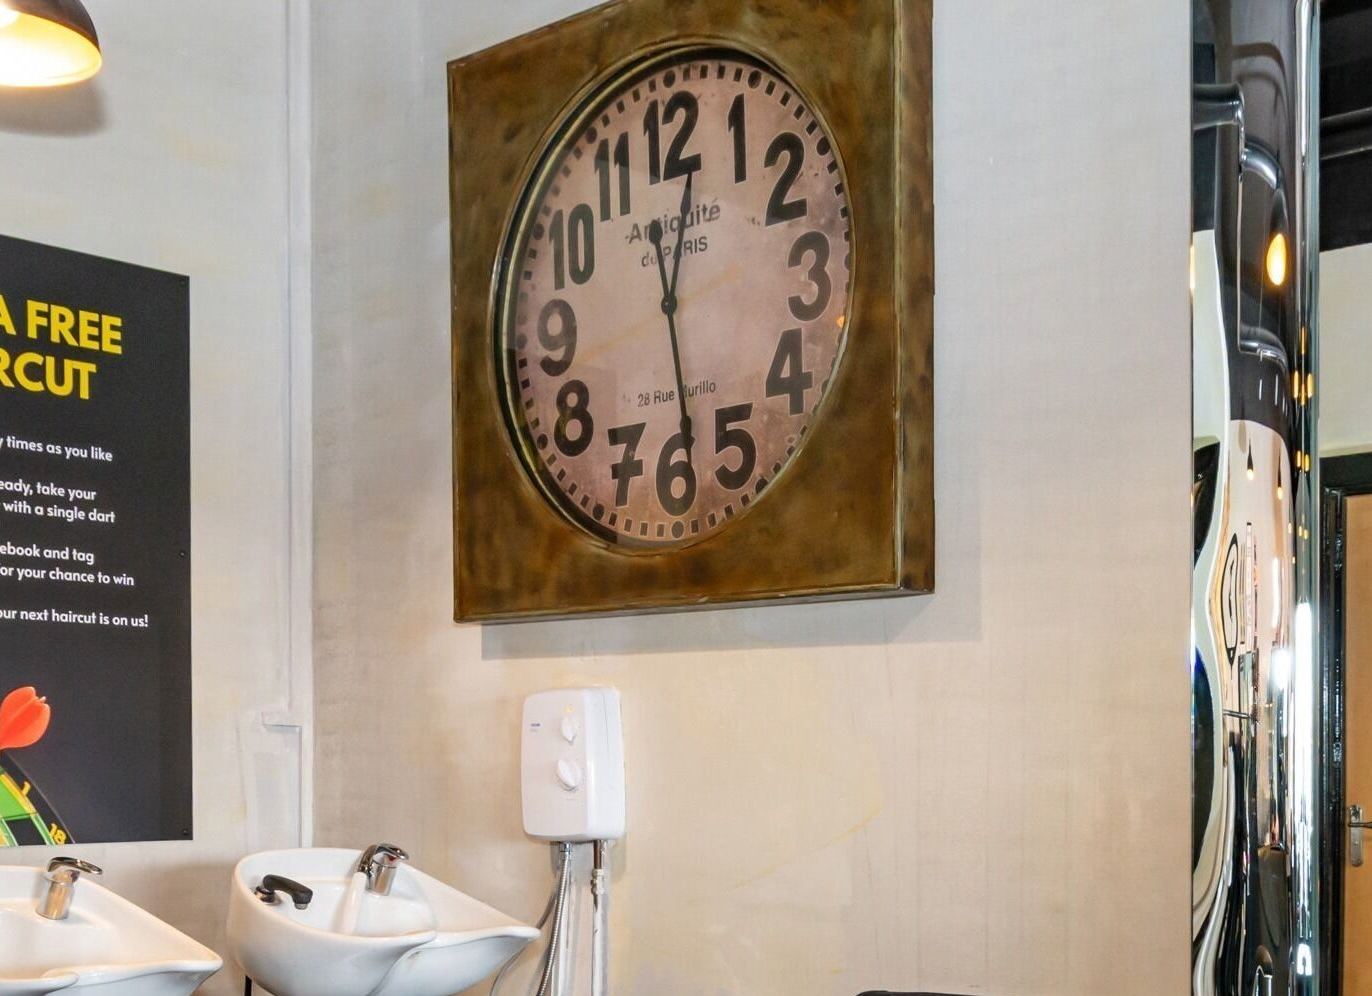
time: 12:28
